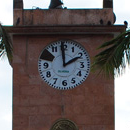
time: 1:59
